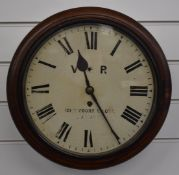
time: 11:24
